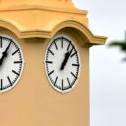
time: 1:07
